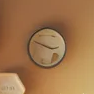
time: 2:48
